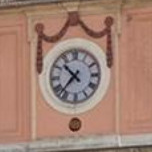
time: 10:37
